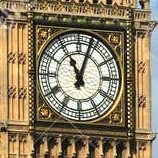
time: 11:03
